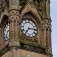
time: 7:14
